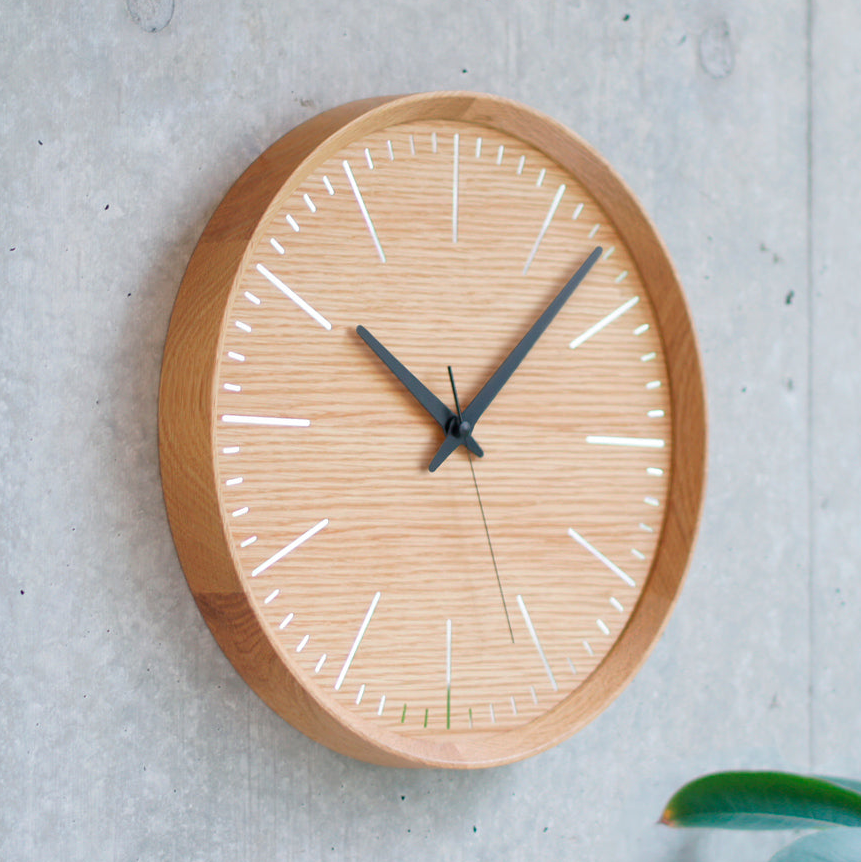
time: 10:07
